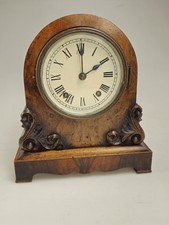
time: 2:00
